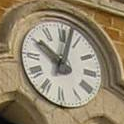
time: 10:02
